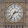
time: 2:36
